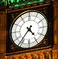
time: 4:36
